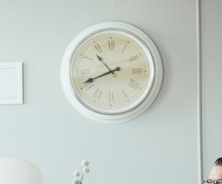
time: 10:41
